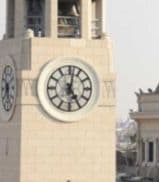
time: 5:01
